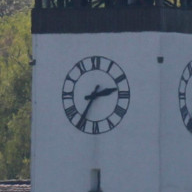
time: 2:35
